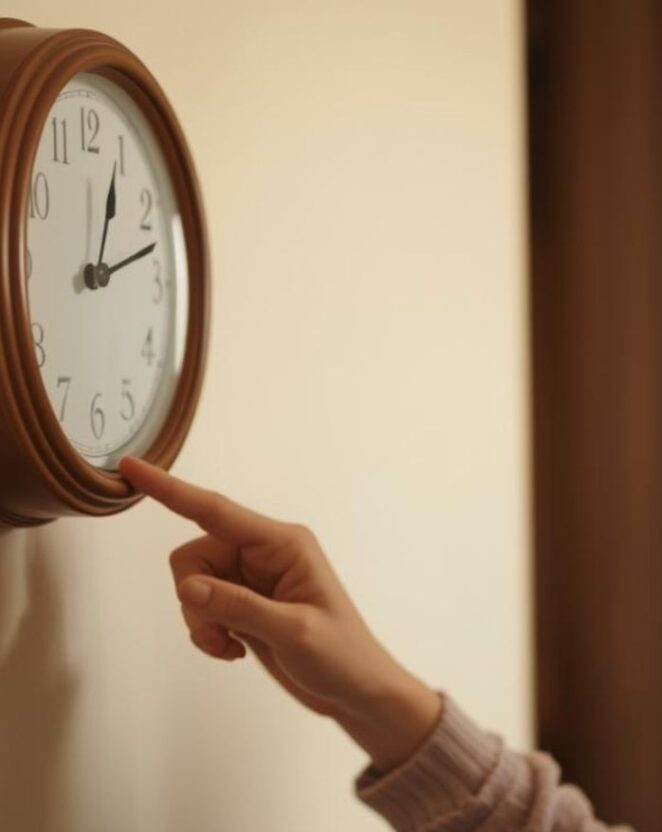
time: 1:12
